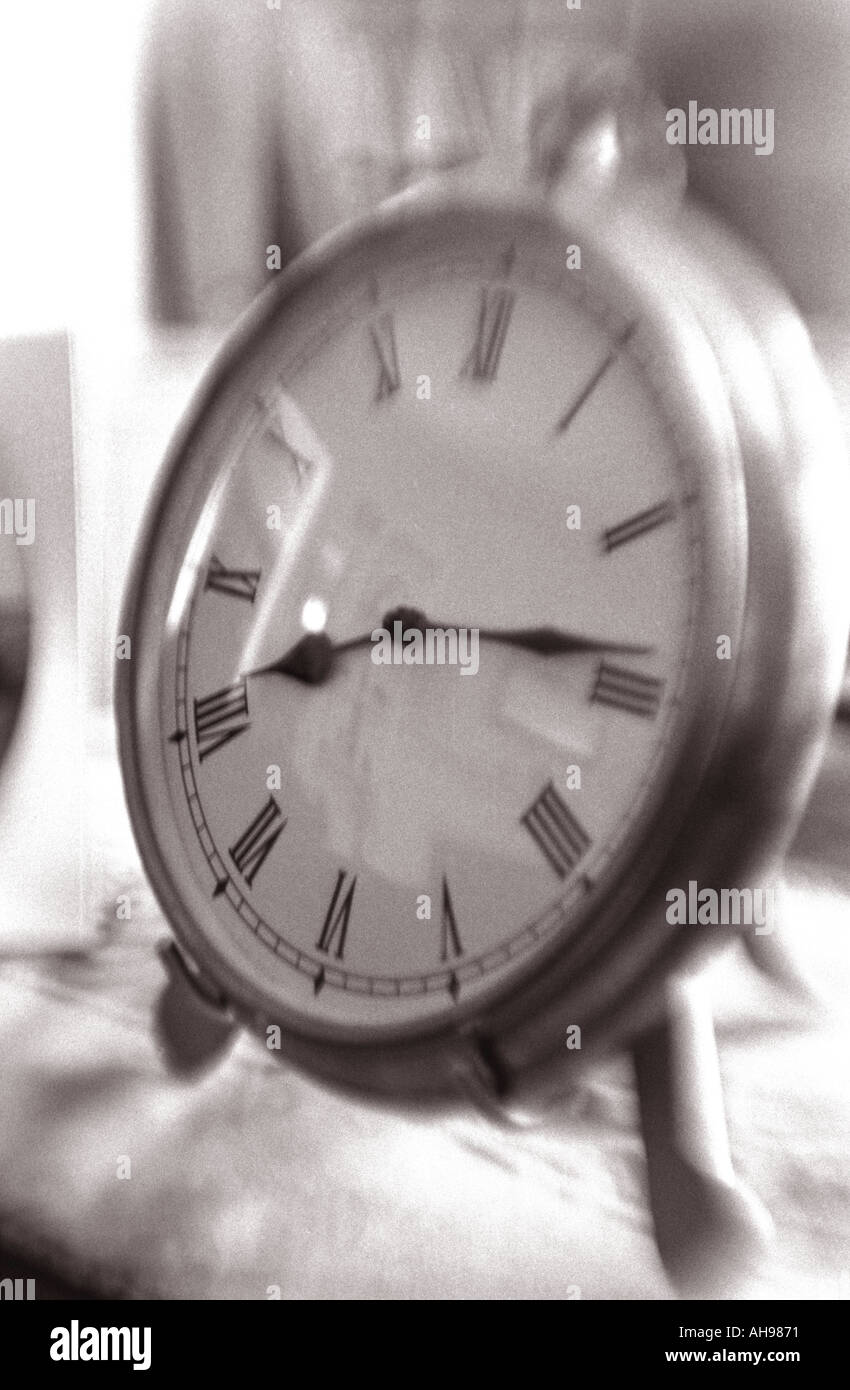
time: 8:14
